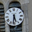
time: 5:31
